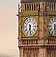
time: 6:28
